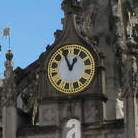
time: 12:55
